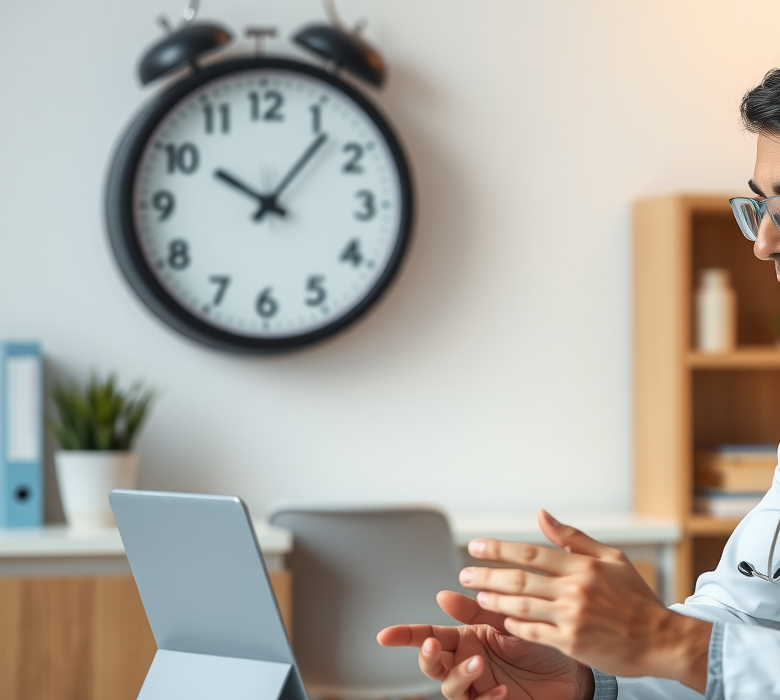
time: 10:06
